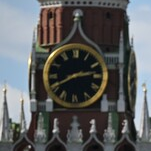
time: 2:40
